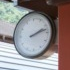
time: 2:12
